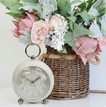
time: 1:50
